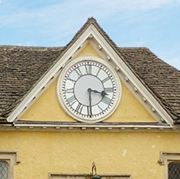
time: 3:29
